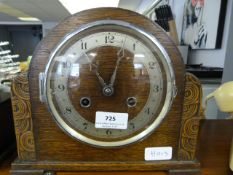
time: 11:03
